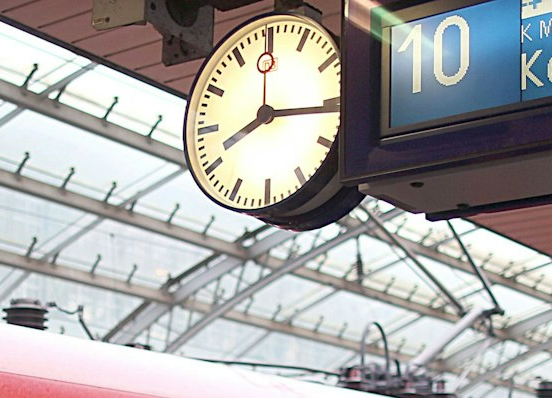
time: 8:16
